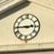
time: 2:45
